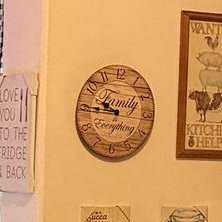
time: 9:45
